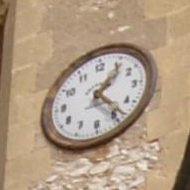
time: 1:23
